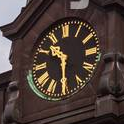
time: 10:30
